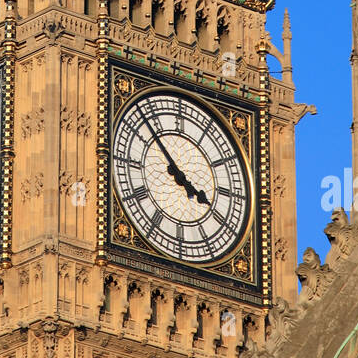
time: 3:52
